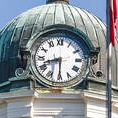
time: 8:29
